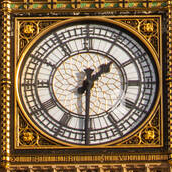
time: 1:30
